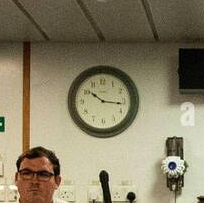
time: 10:16
